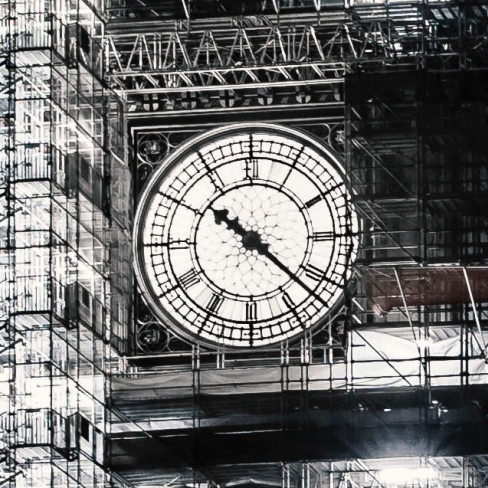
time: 10:21
